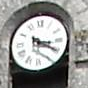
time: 3:20
